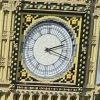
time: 2:18
